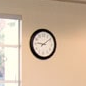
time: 9:08
